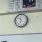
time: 10:32
